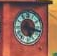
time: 5:17
